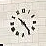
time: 10:24
